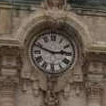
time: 2:48
